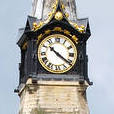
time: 10:21
